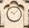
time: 10:07
